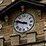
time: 9:48
